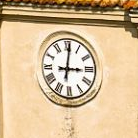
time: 3:01
